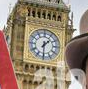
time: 1:30
